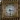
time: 3:28
